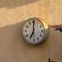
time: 7:00
